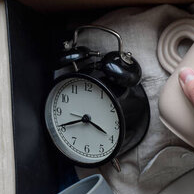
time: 3:40
